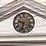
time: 9:33
